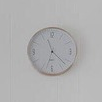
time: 11:22
